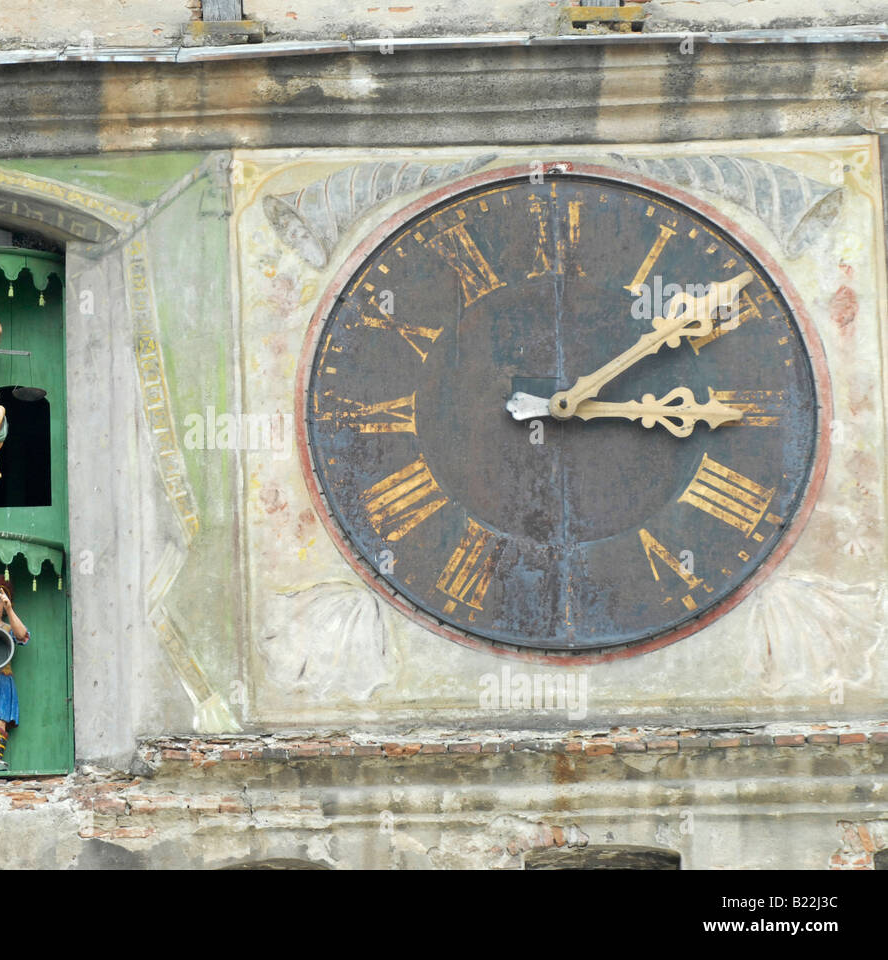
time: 3:08
